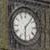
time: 6:06
